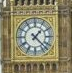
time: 1:22
